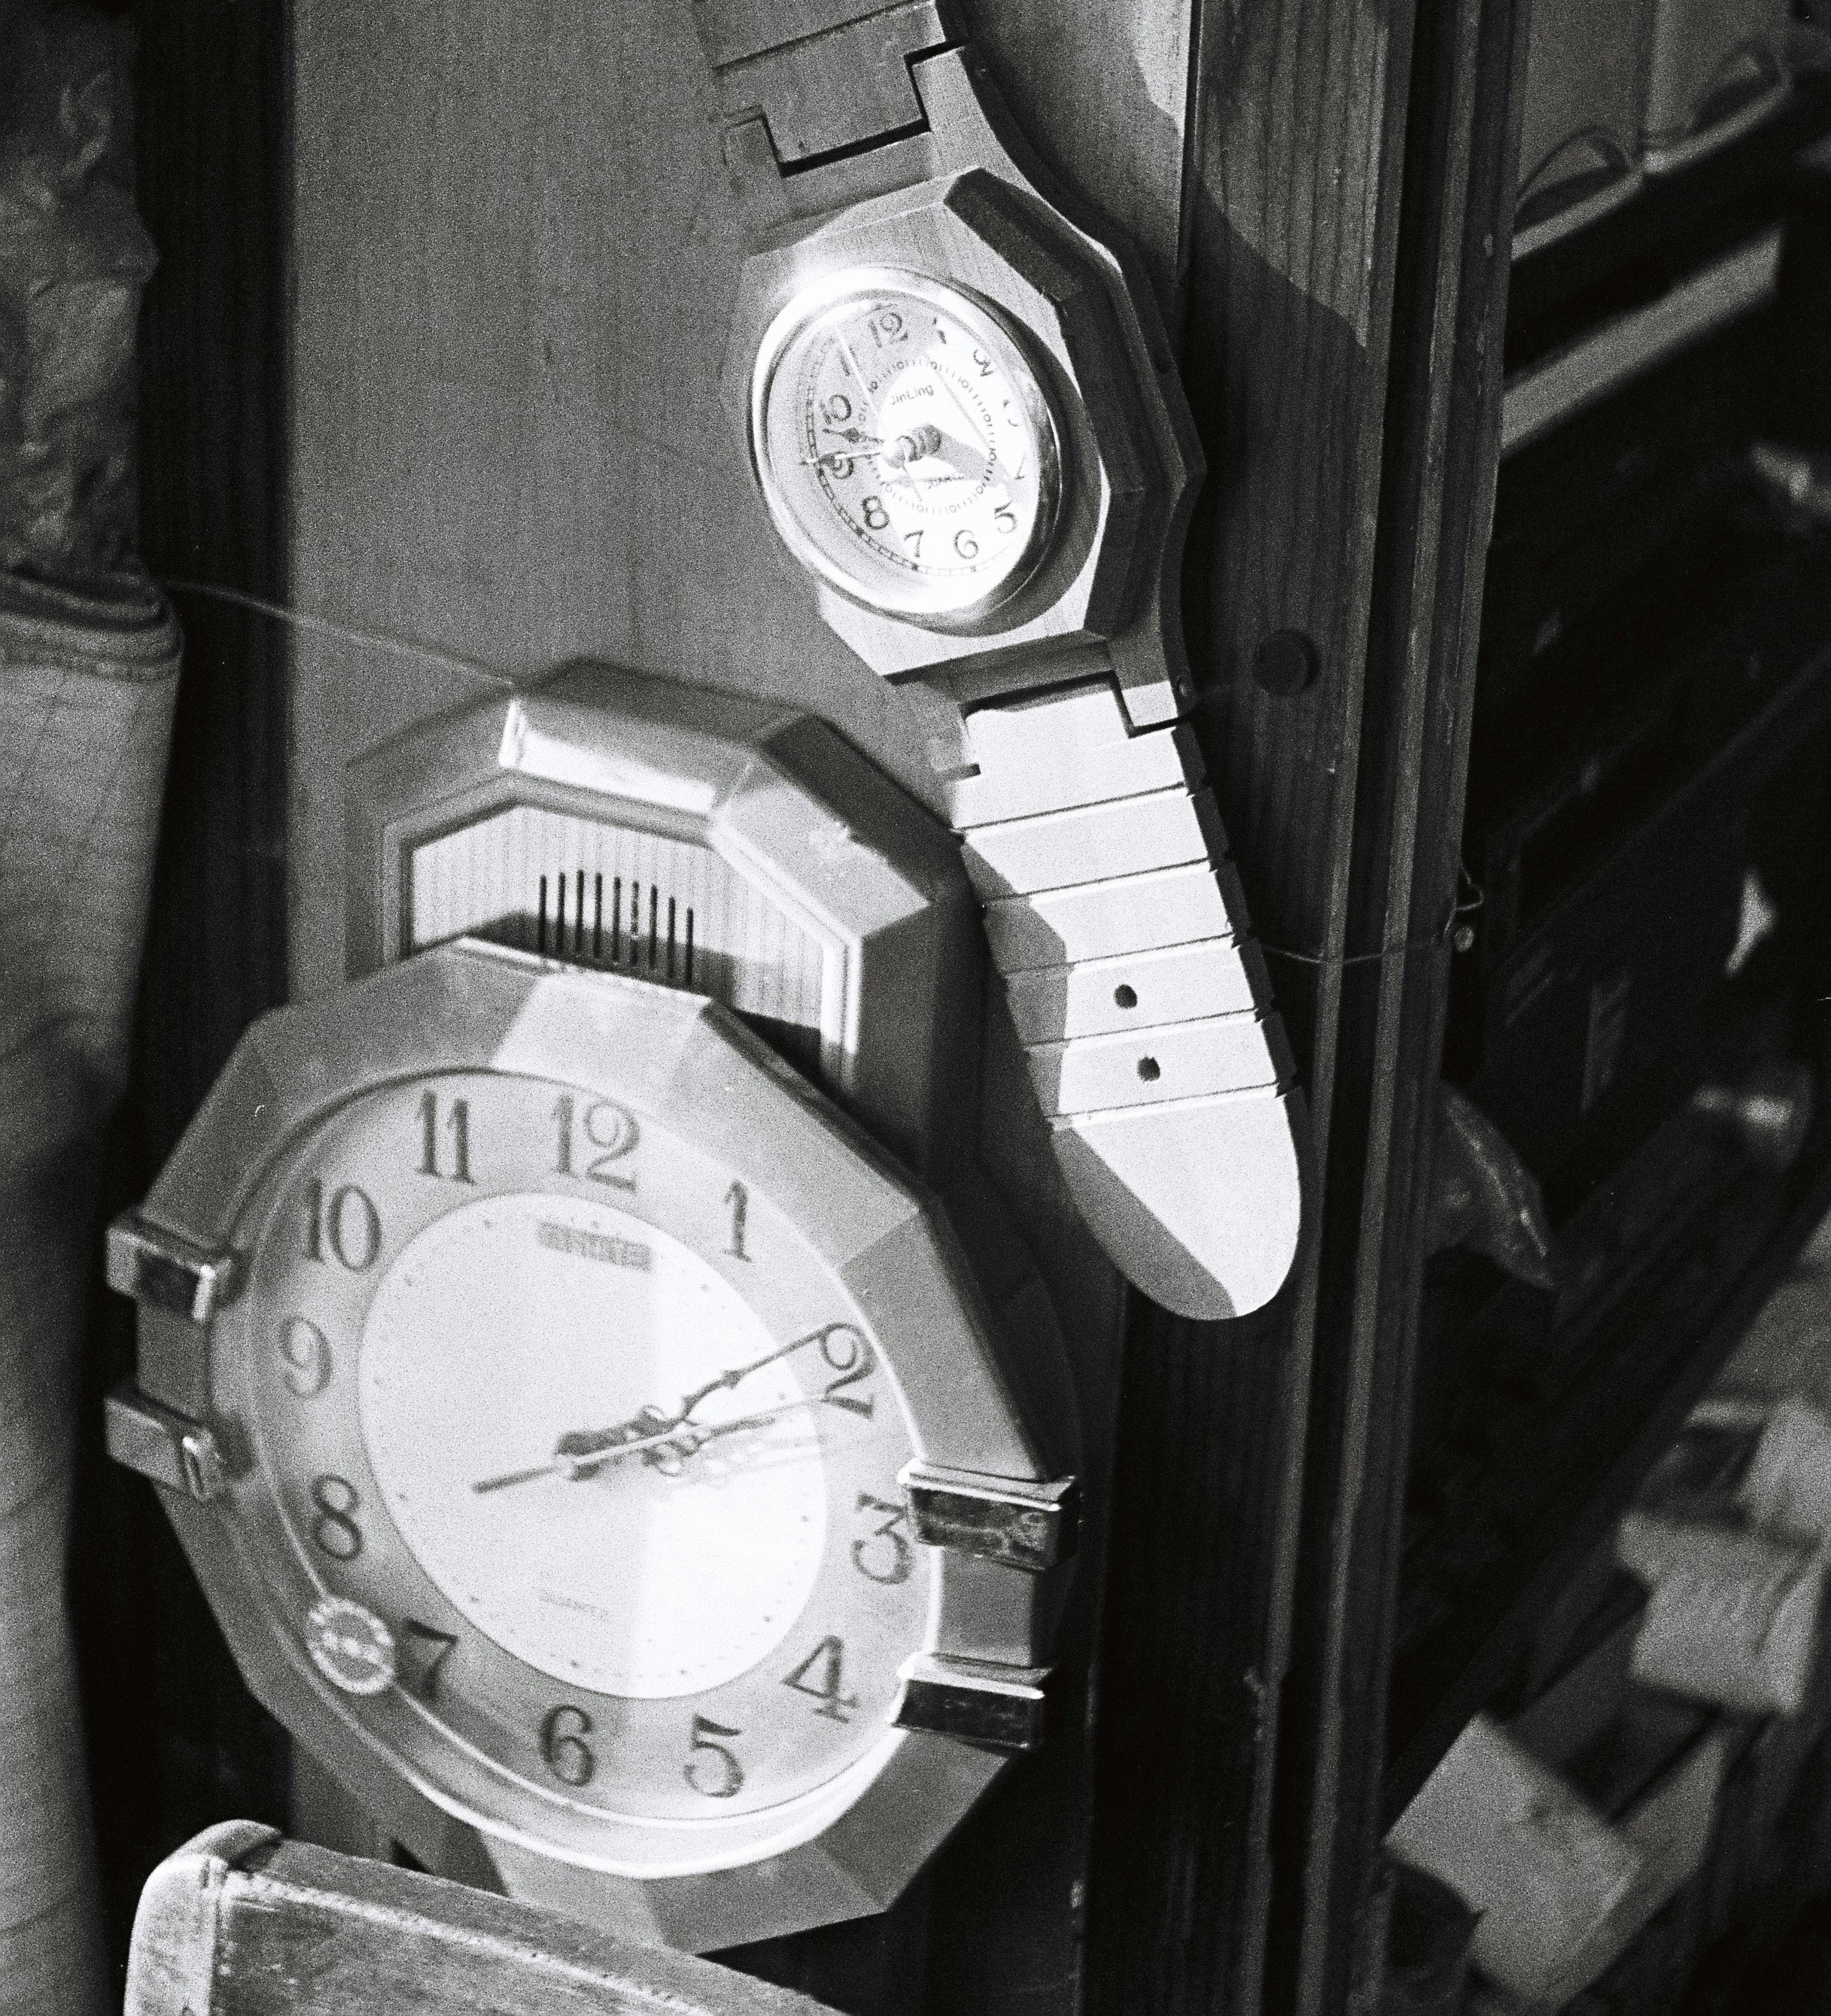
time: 2:09
